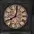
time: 8:01
